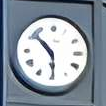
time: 5:51
